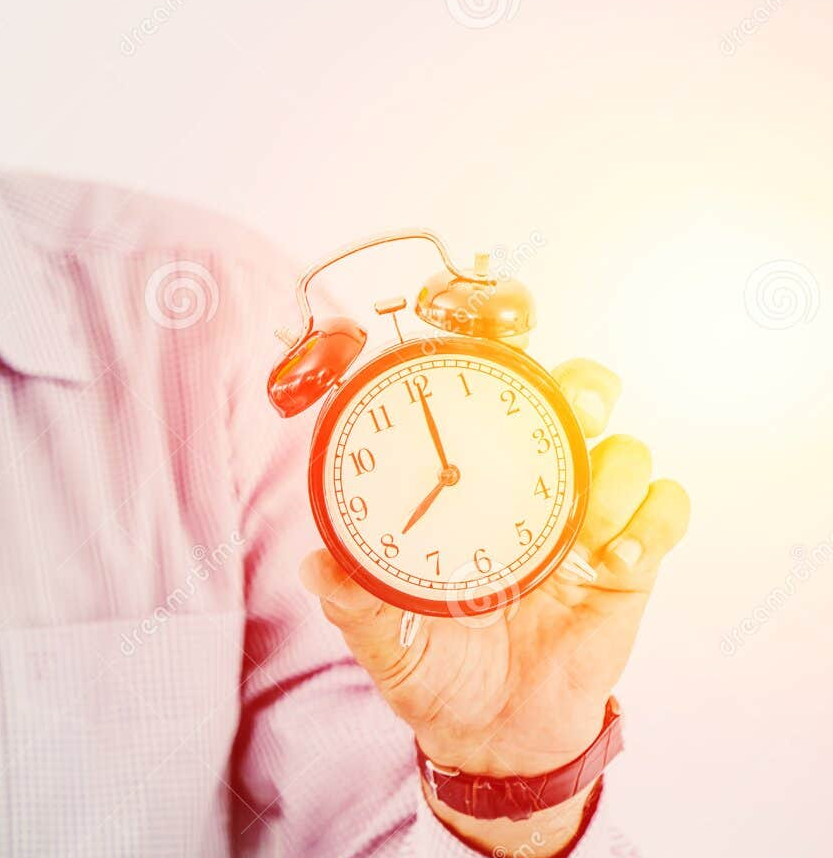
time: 8:00
